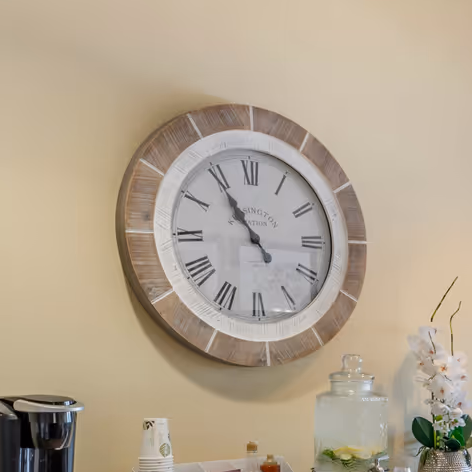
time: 10:54
